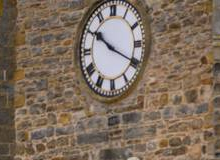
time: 10:19
